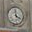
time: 3:58
